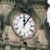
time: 12:06
